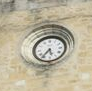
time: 5:36
